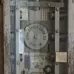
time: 6:32
